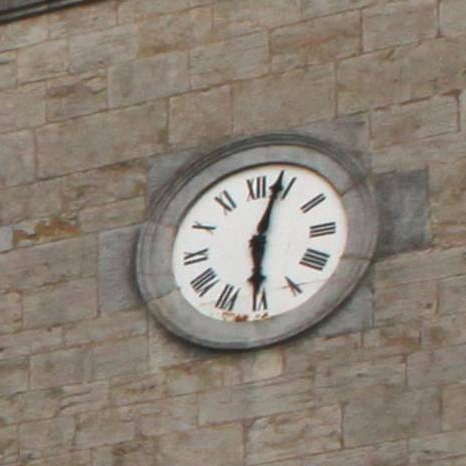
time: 6:03
